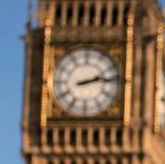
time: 2:13
